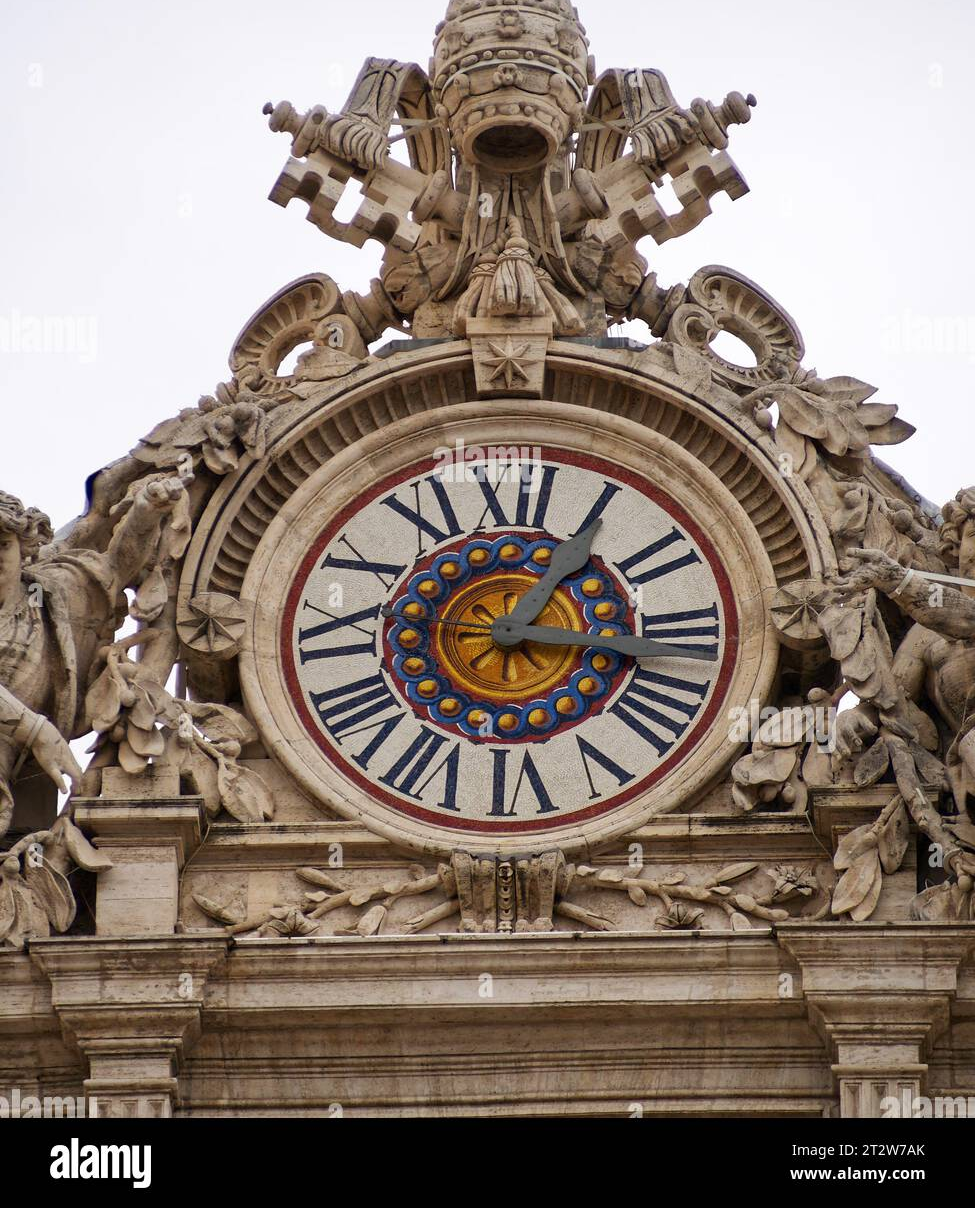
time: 1:16
